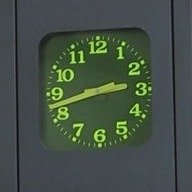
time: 2:42
